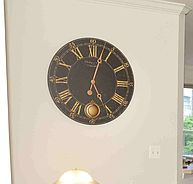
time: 5:02
